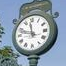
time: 11:47
